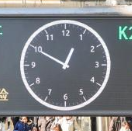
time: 12:49
